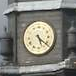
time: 5:21
